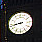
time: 8:43
